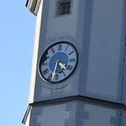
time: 4:32
